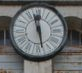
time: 11:28
